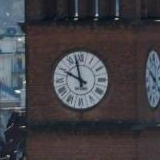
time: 9:57
